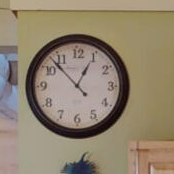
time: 12:52
